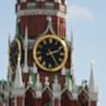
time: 2:24
